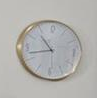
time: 10:42
